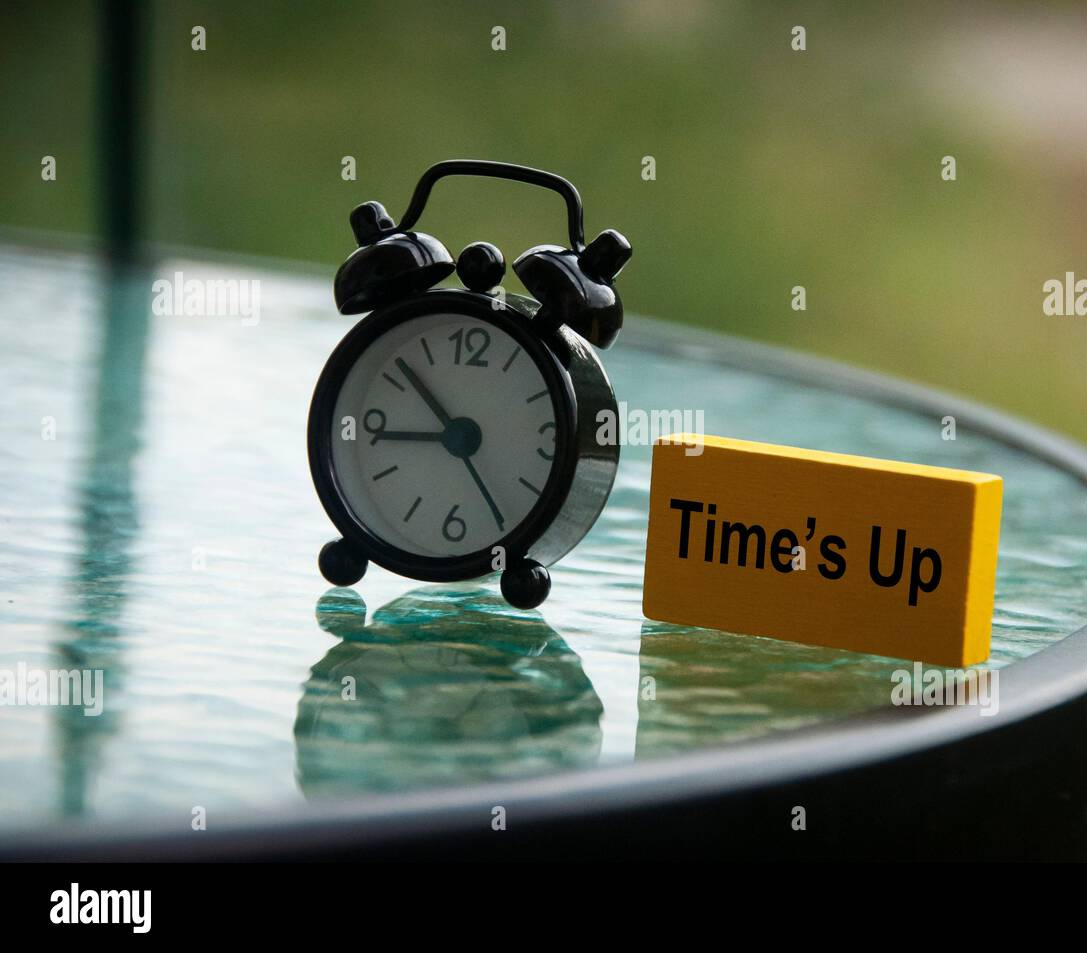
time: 8:52
